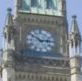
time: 2:50
